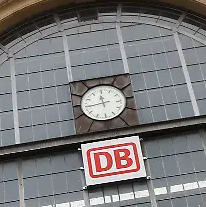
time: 11:44
